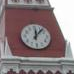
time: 12:07
